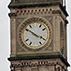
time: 3:50
